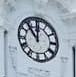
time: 11:53
